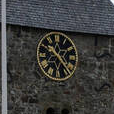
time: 10:23
